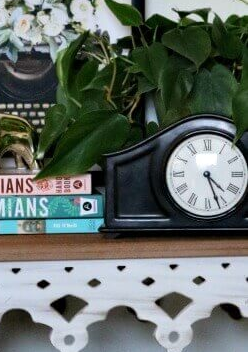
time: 4:26
